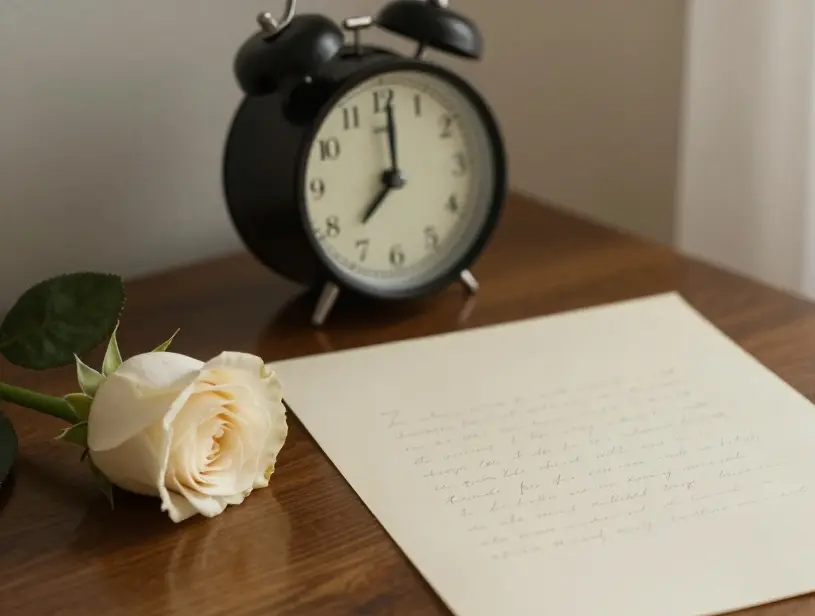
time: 7:00
